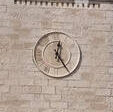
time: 12:24
